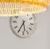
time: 5:35
